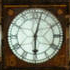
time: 6:02
